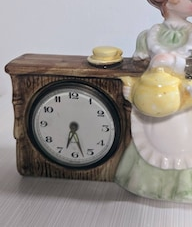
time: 6:27
